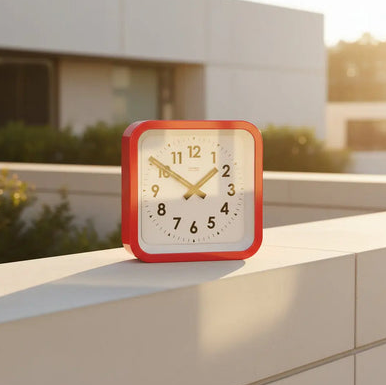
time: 1:50
